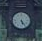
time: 5:24
